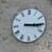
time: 3:15
